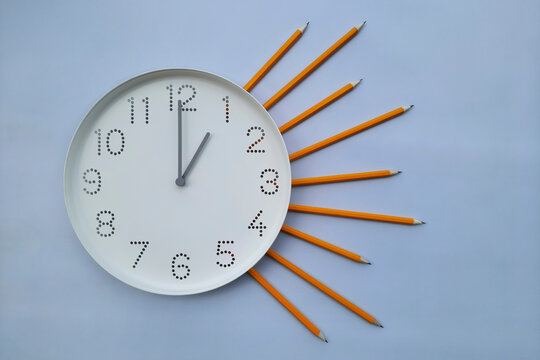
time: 1:00
